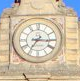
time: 7:15
